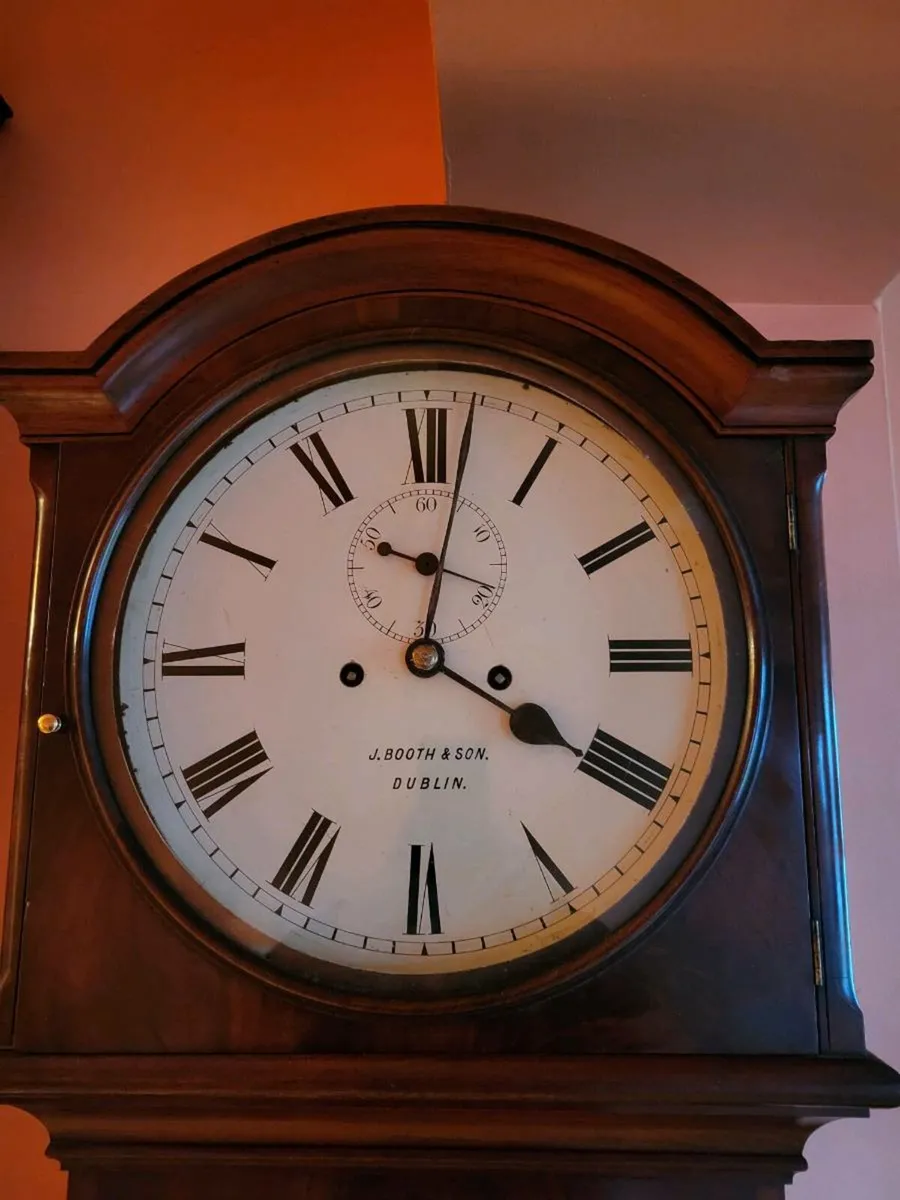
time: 4:01
